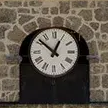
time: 12:51
